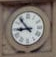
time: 8:53
